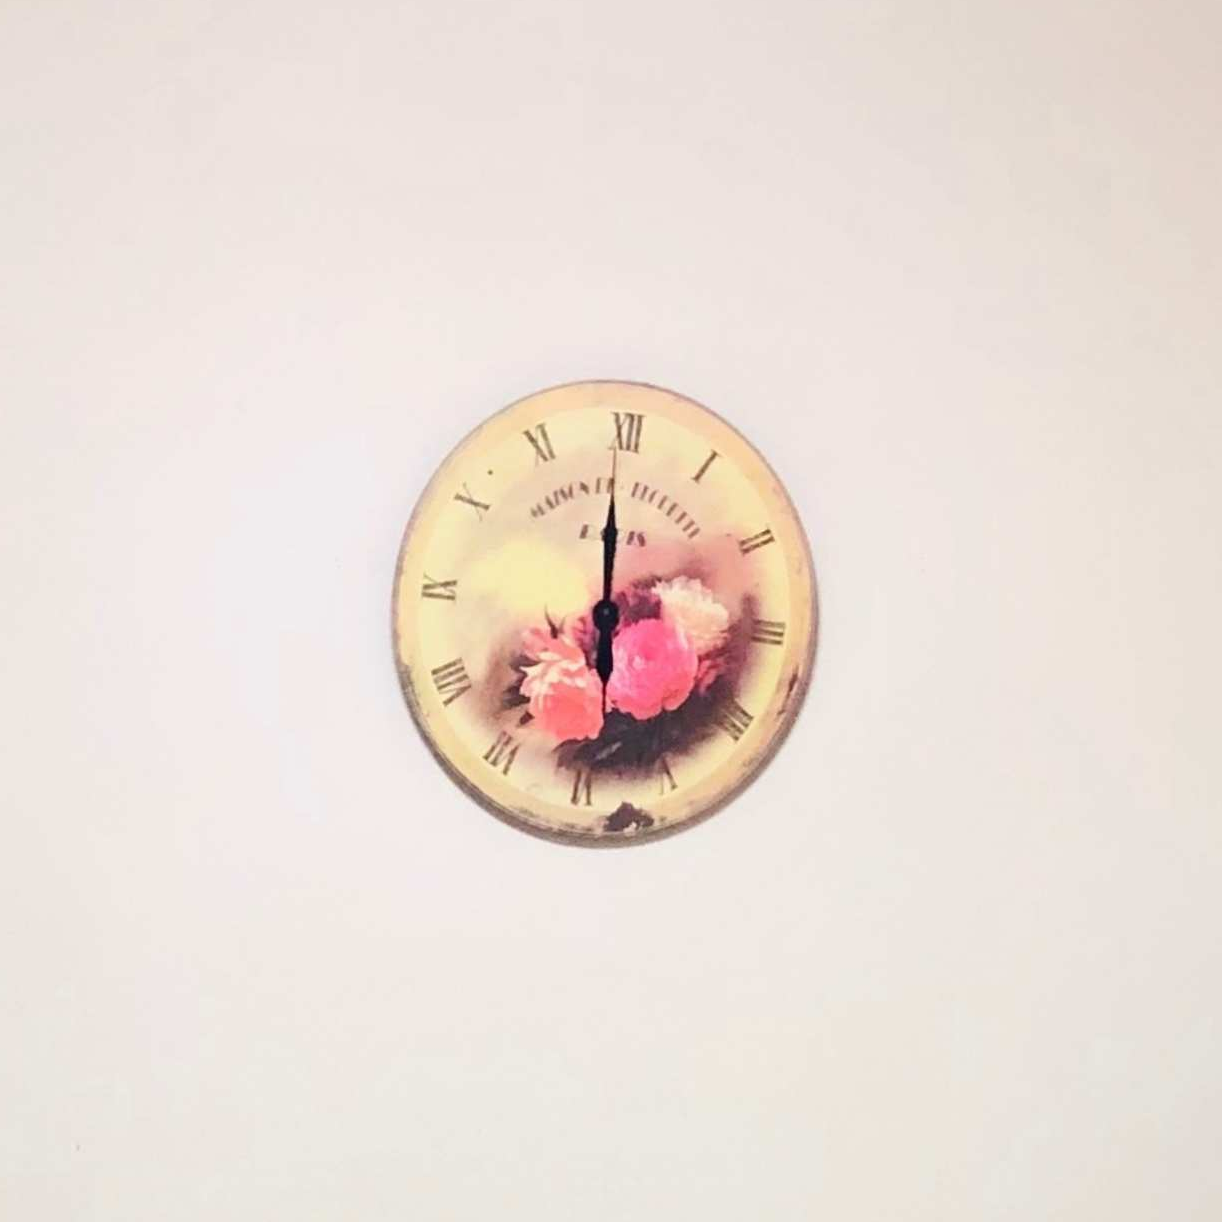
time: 5:59
